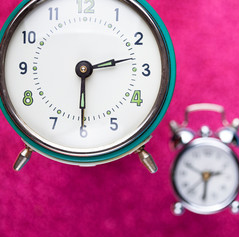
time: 2:30
